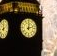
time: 12:12
